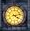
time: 4:12
